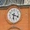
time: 6:18
